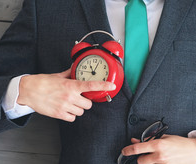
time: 11:04
